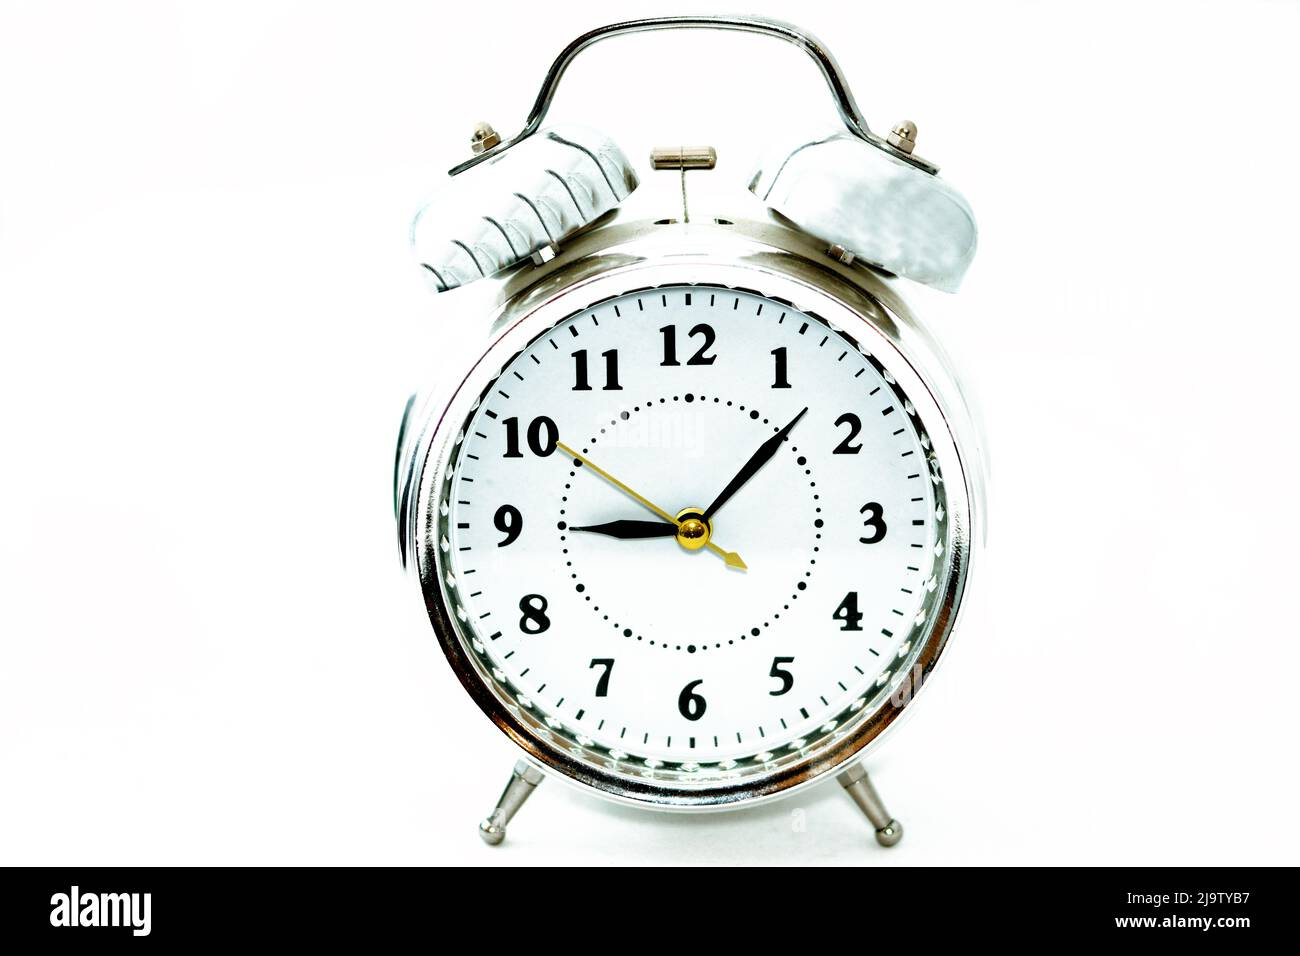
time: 9:07
